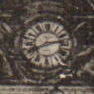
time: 2:40
